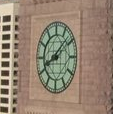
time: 8:07
